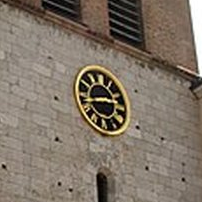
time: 2:42
